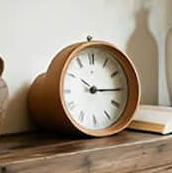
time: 10:15
